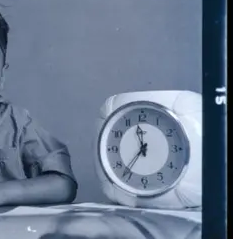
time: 11:36
